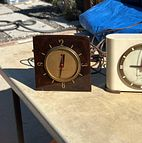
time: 12:32
